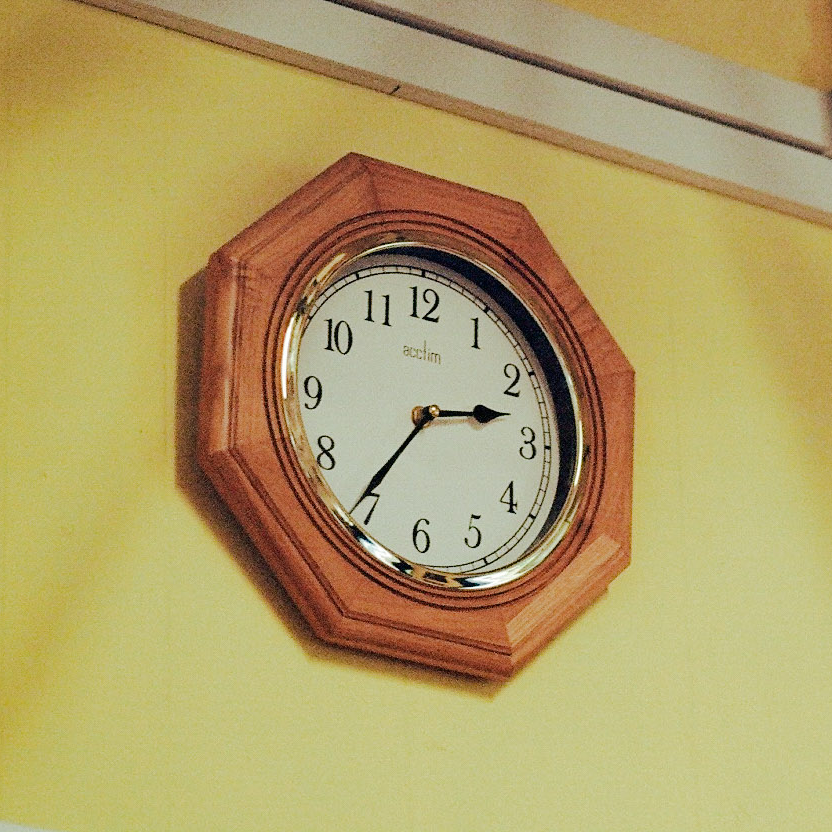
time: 2:35
